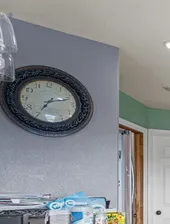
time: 7:11
